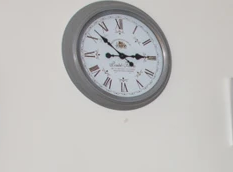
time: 2:52
